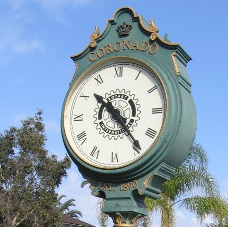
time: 10:23
